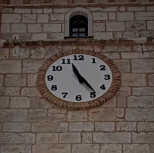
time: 11:23
